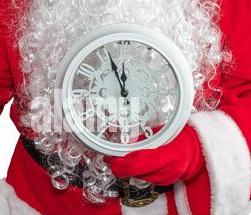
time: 11:56
